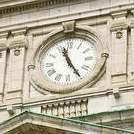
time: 11:24
